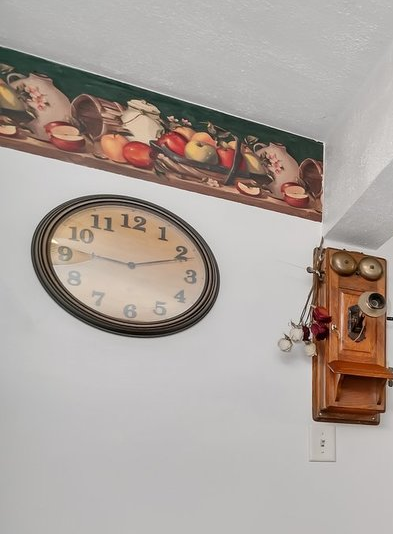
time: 9:11
